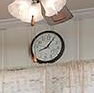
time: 8:05
